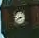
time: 2:40
